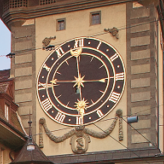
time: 5:45
